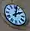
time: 2:02
